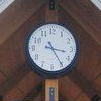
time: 3:24
